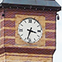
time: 3:33
